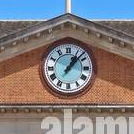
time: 1:07
